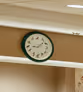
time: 9:08
